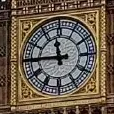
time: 11:44
